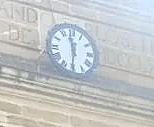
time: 11:31
